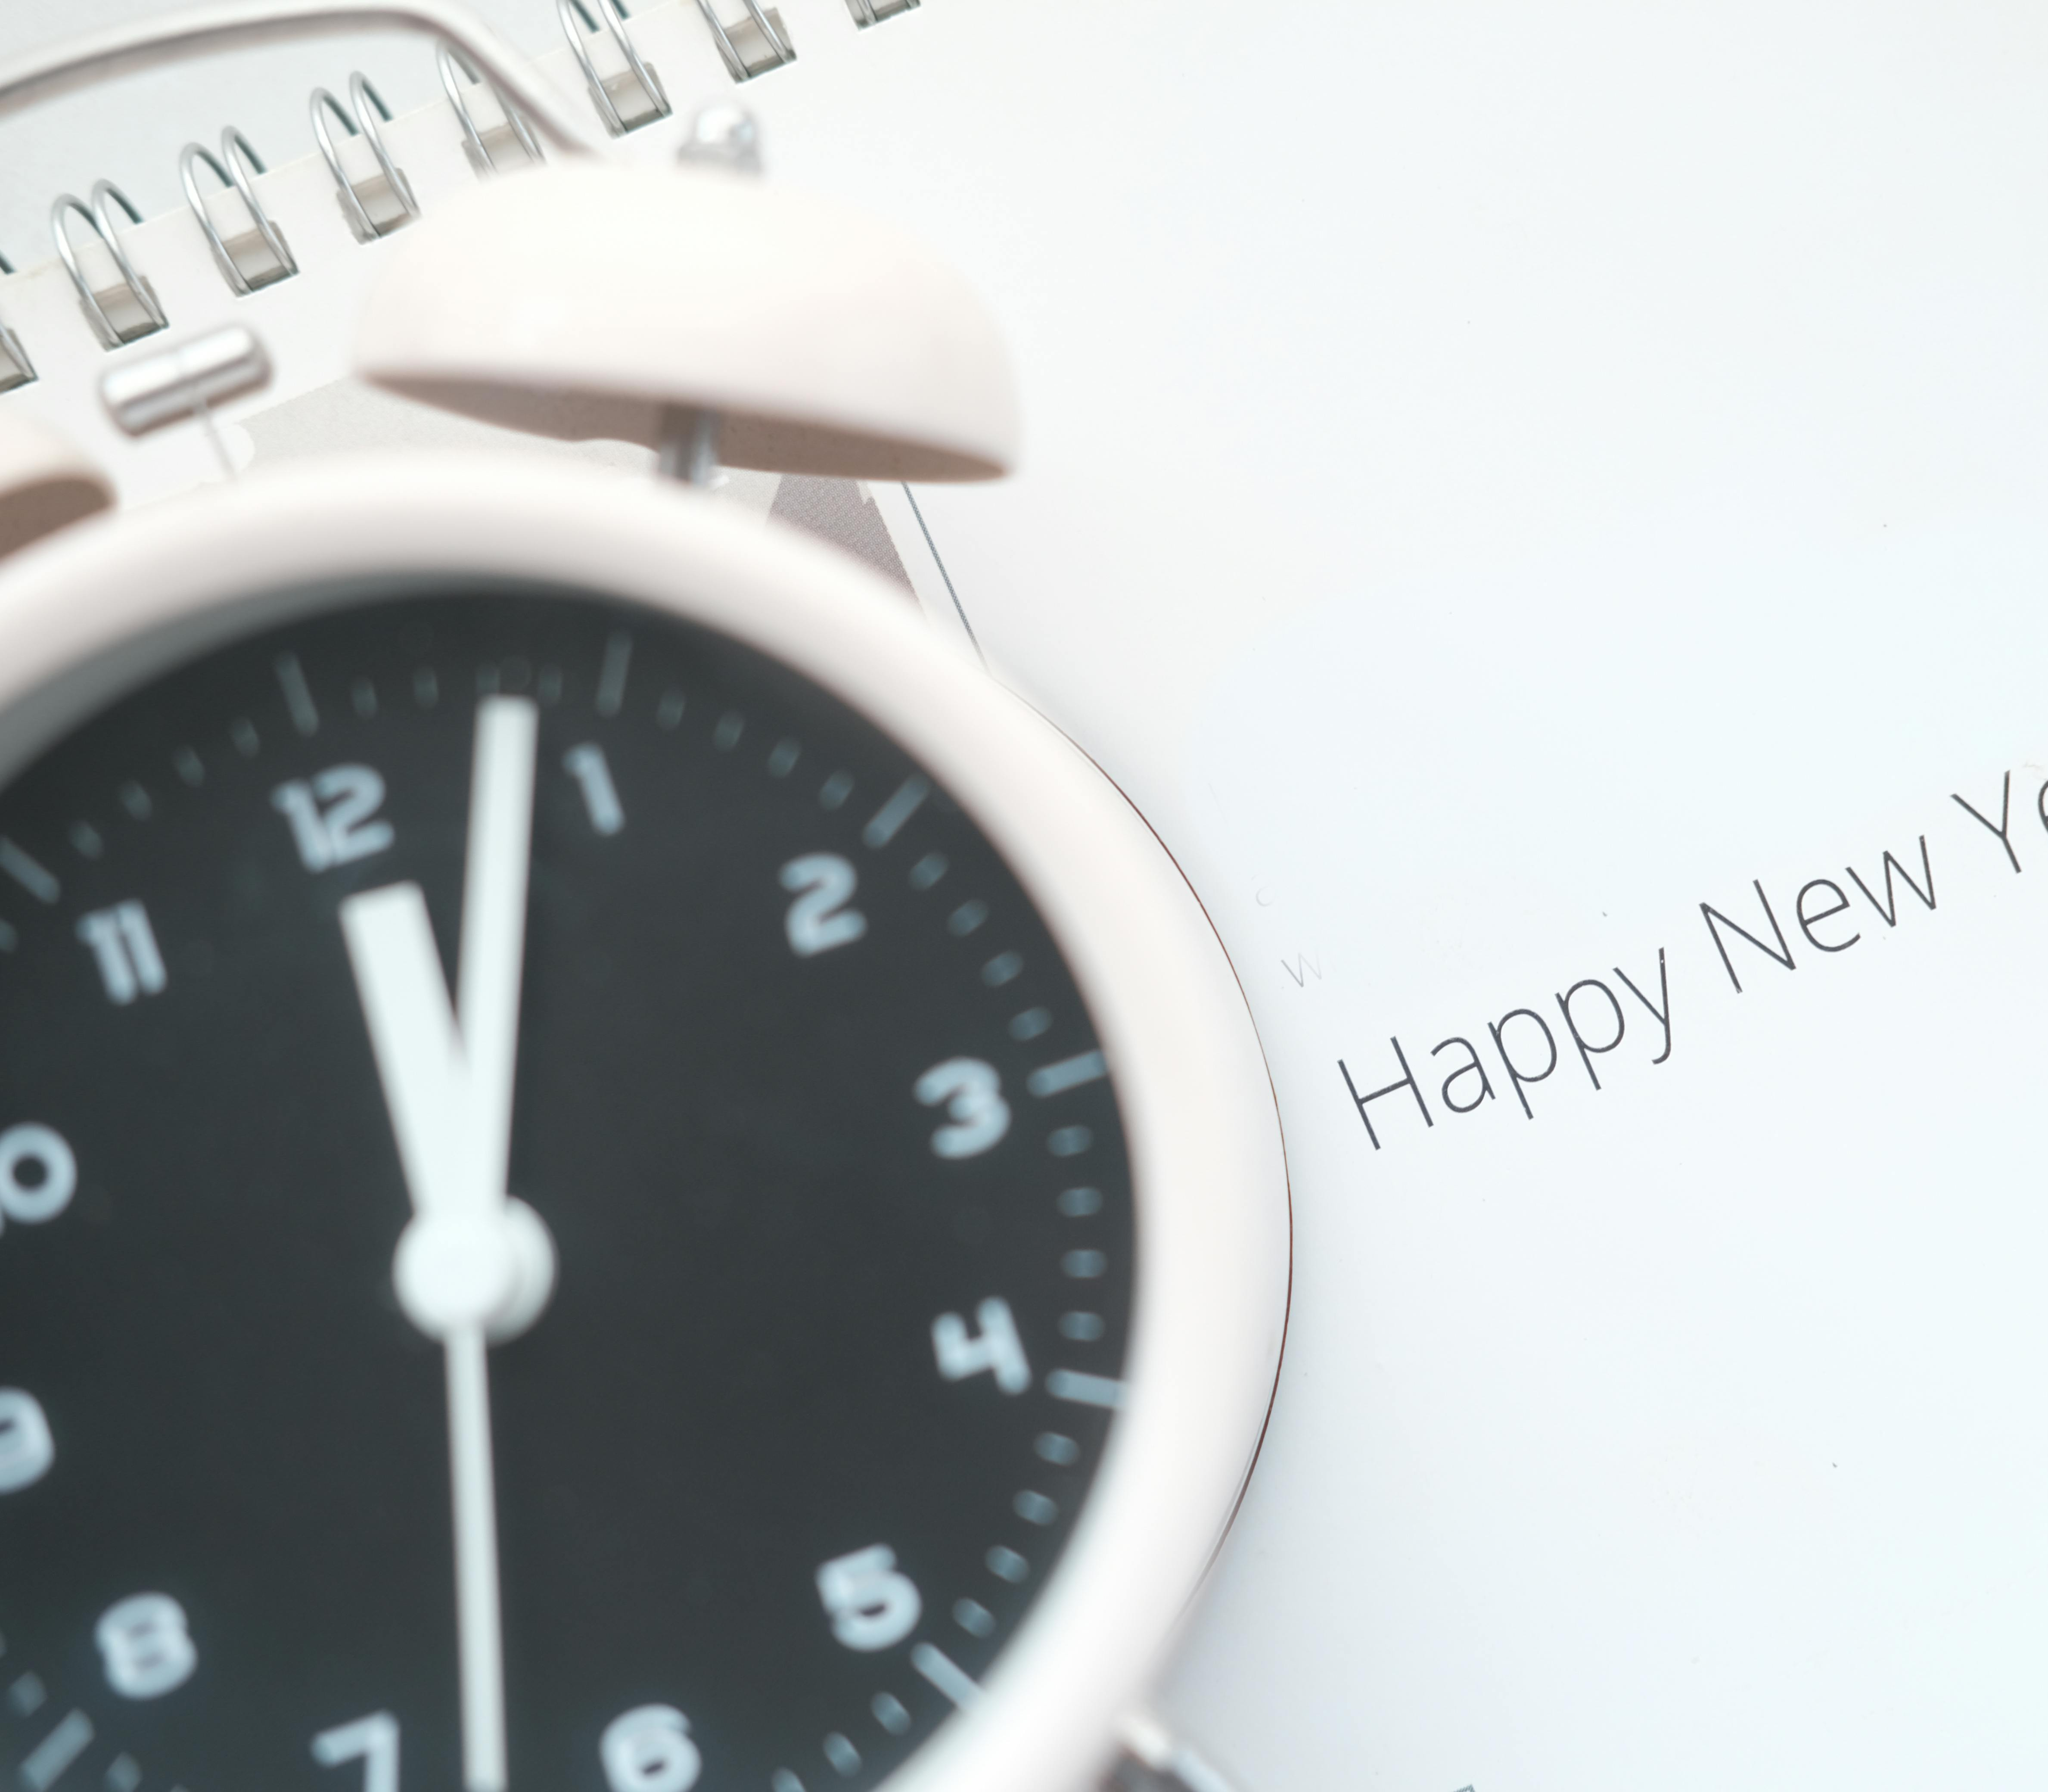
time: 12:03
